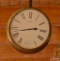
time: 2:42
